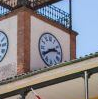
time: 2:40
